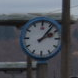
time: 2:06
